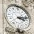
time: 3:12
